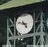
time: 4:47
